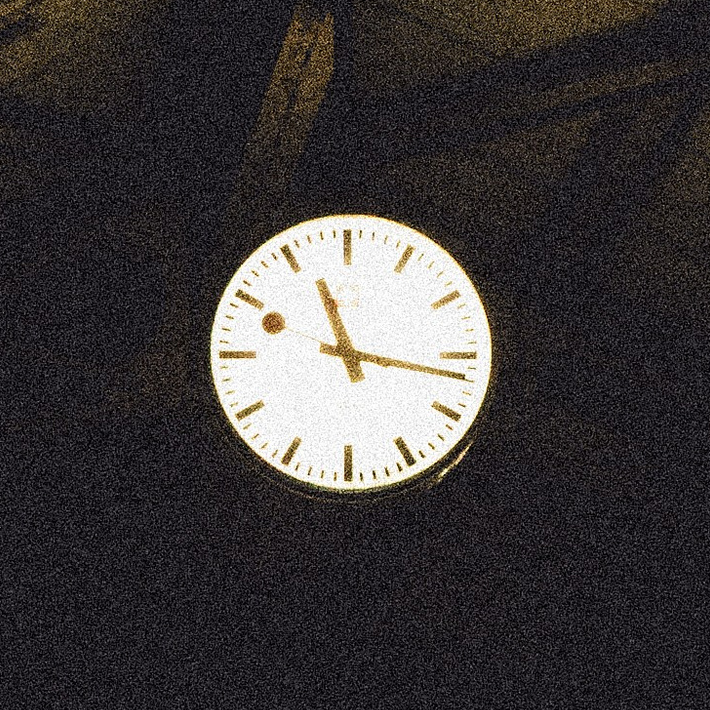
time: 11:16
